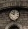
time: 10:02
